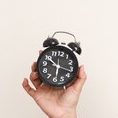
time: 10:17
